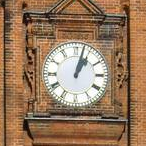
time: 1:02
